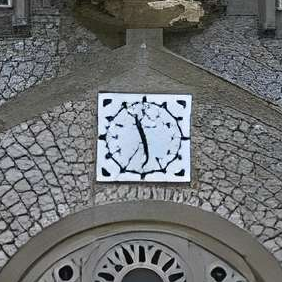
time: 11:28
